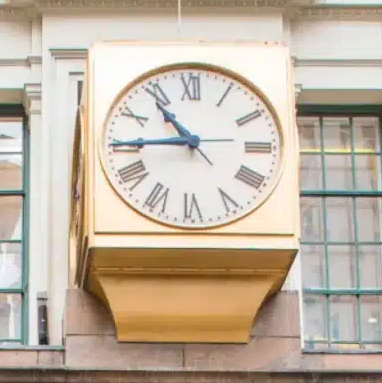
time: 10:44
